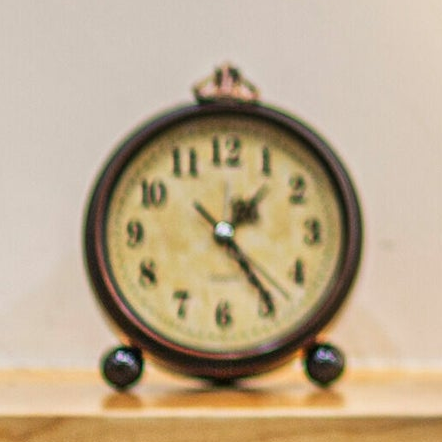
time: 1:24
